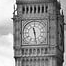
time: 11:28
